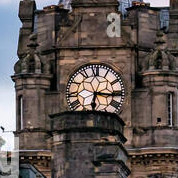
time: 6:15
